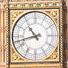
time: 10:42
